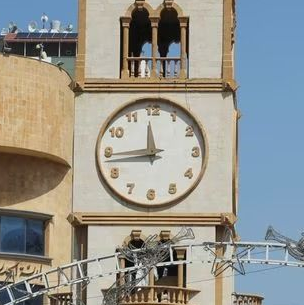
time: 11:44
